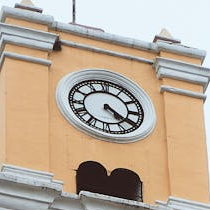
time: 4:20
